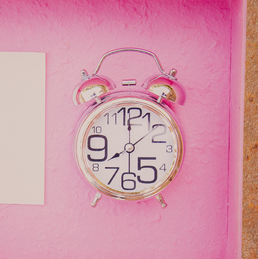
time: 7:59
